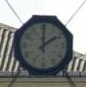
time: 2:00
